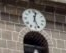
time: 12:26
